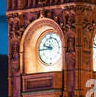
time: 9:44
